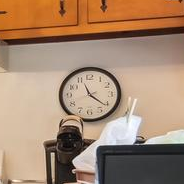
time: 11:21
